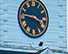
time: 3:46
